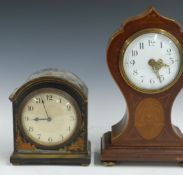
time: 8:57
